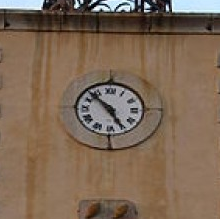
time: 4:52
